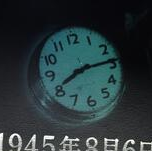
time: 8:14
